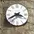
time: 3:40
